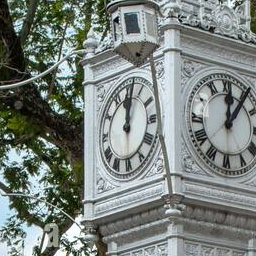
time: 12:01
